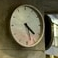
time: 4:27
